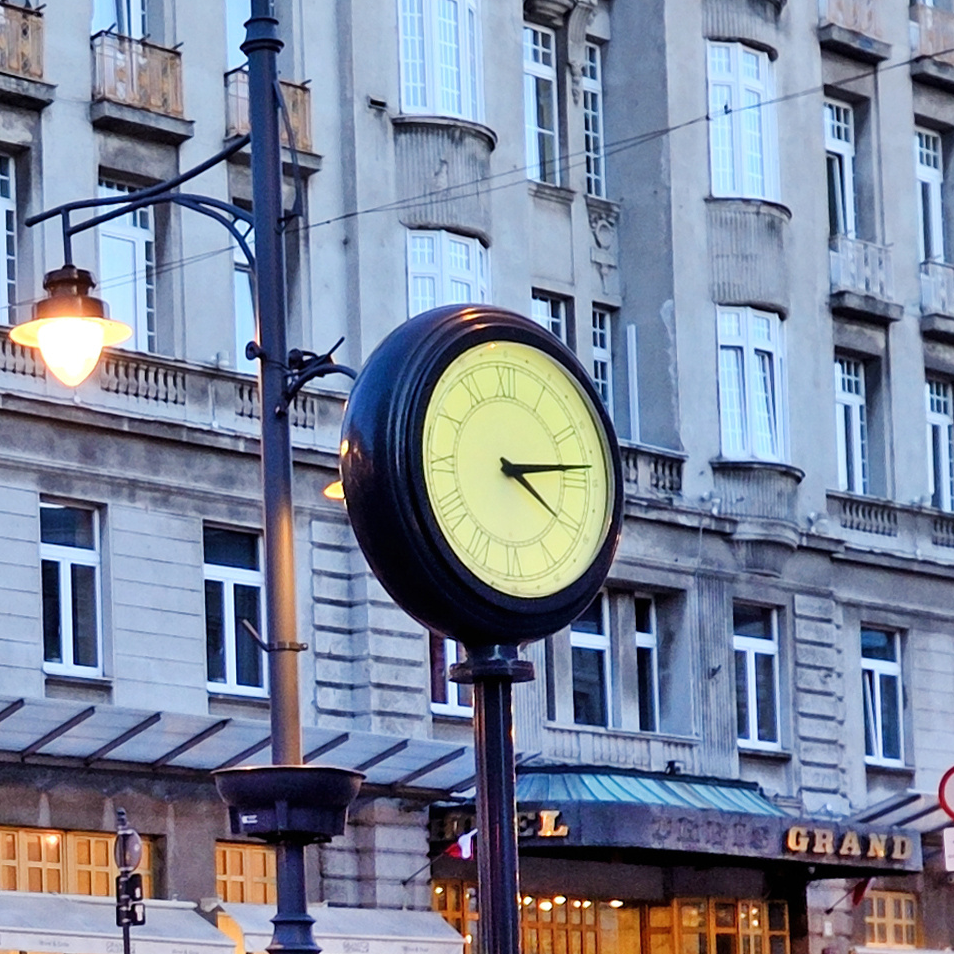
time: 4:14
